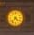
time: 4:36
